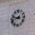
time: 9:42
